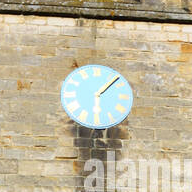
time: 6:07
